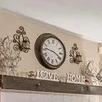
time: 3:46
